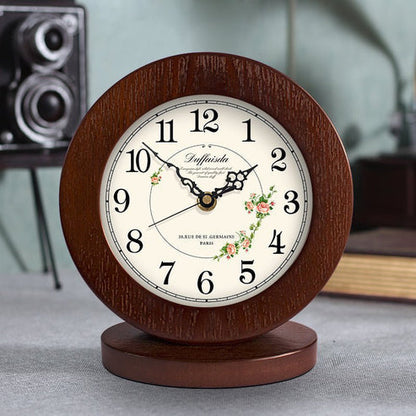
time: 1:51
